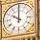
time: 10:00
